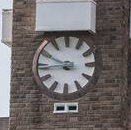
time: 8:49
